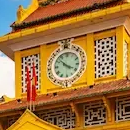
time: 3:52
